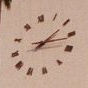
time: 2:16
